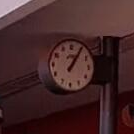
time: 1:05
